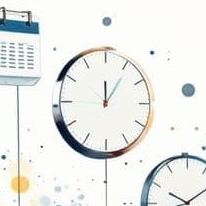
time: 12:05
